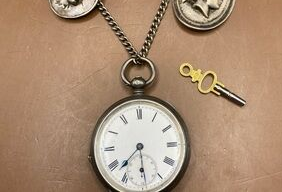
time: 7:29
